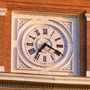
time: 7:19
